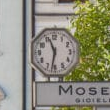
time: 11:32
